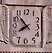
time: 7:52
